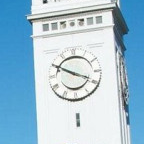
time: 3:50
